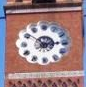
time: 2:51
